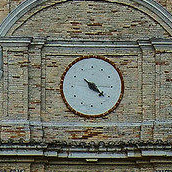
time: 4:21
